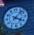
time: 4:07
